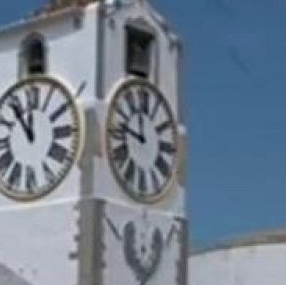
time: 11:46
